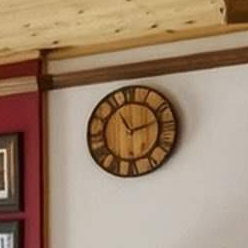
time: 11:12
